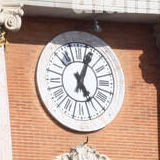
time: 5:03
